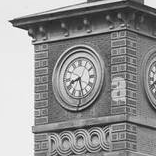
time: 8:27
